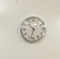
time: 10:32
